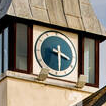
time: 3:29
